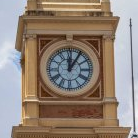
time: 12:05
